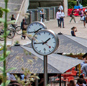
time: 1:44
